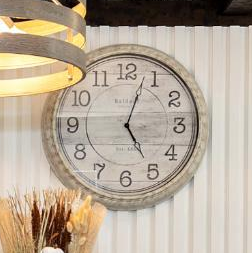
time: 5:03
